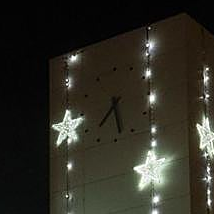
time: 7:28
